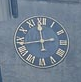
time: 11:43
